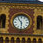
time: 5:54
